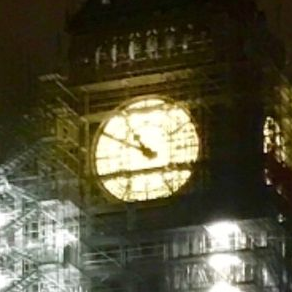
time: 10:49
